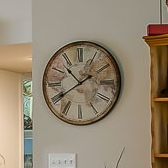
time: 10:39
